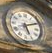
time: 5:10
